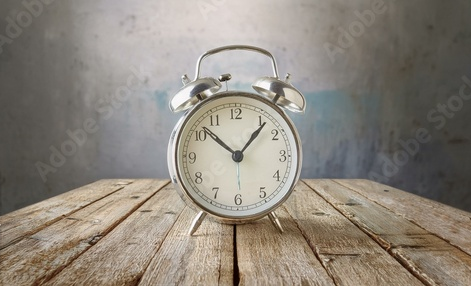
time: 10:07
